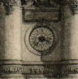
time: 3:37
